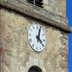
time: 4:01
